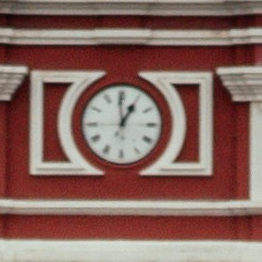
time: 12:59
